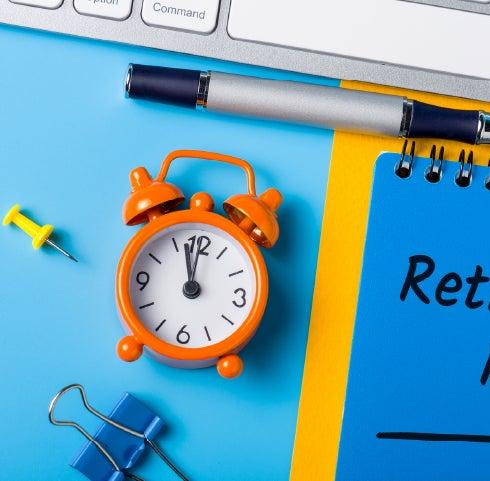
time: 11:57
